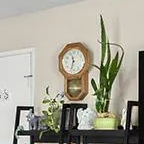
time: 11:32
